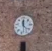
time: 11:21
